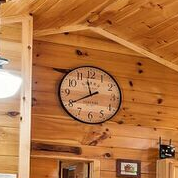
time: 11:40
